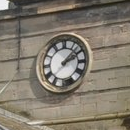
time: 2:07
